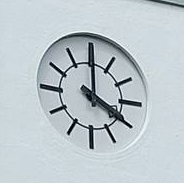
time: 4:00
